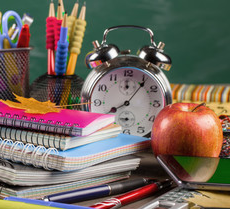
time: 8:06
